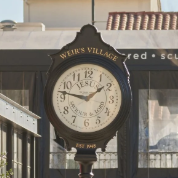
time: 1:46
